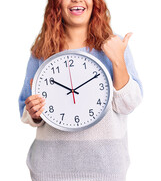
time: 10:10
